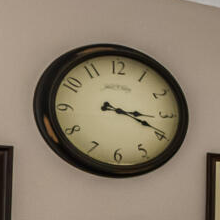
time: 3:19
